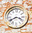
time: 3:40
